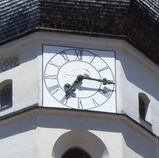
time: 7:15
